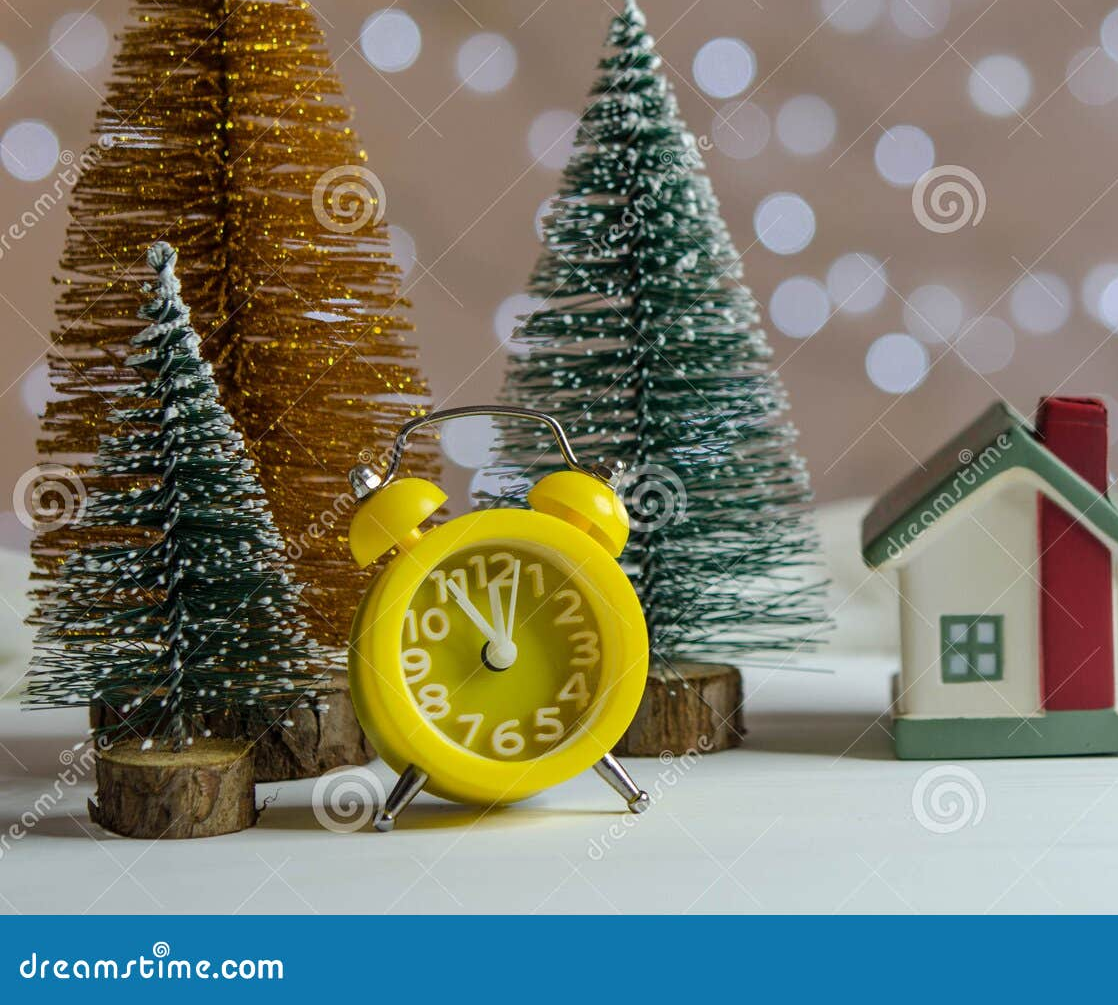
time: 11:02
